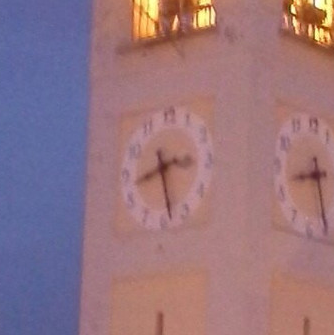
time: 8:28
